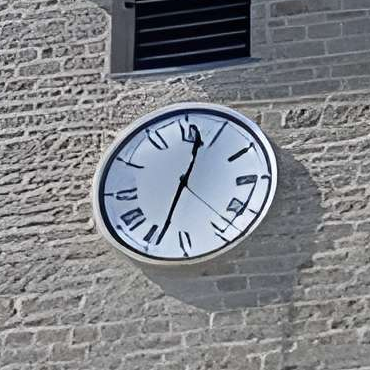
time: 12:33
